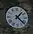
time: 1:22
